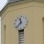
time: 11:37
